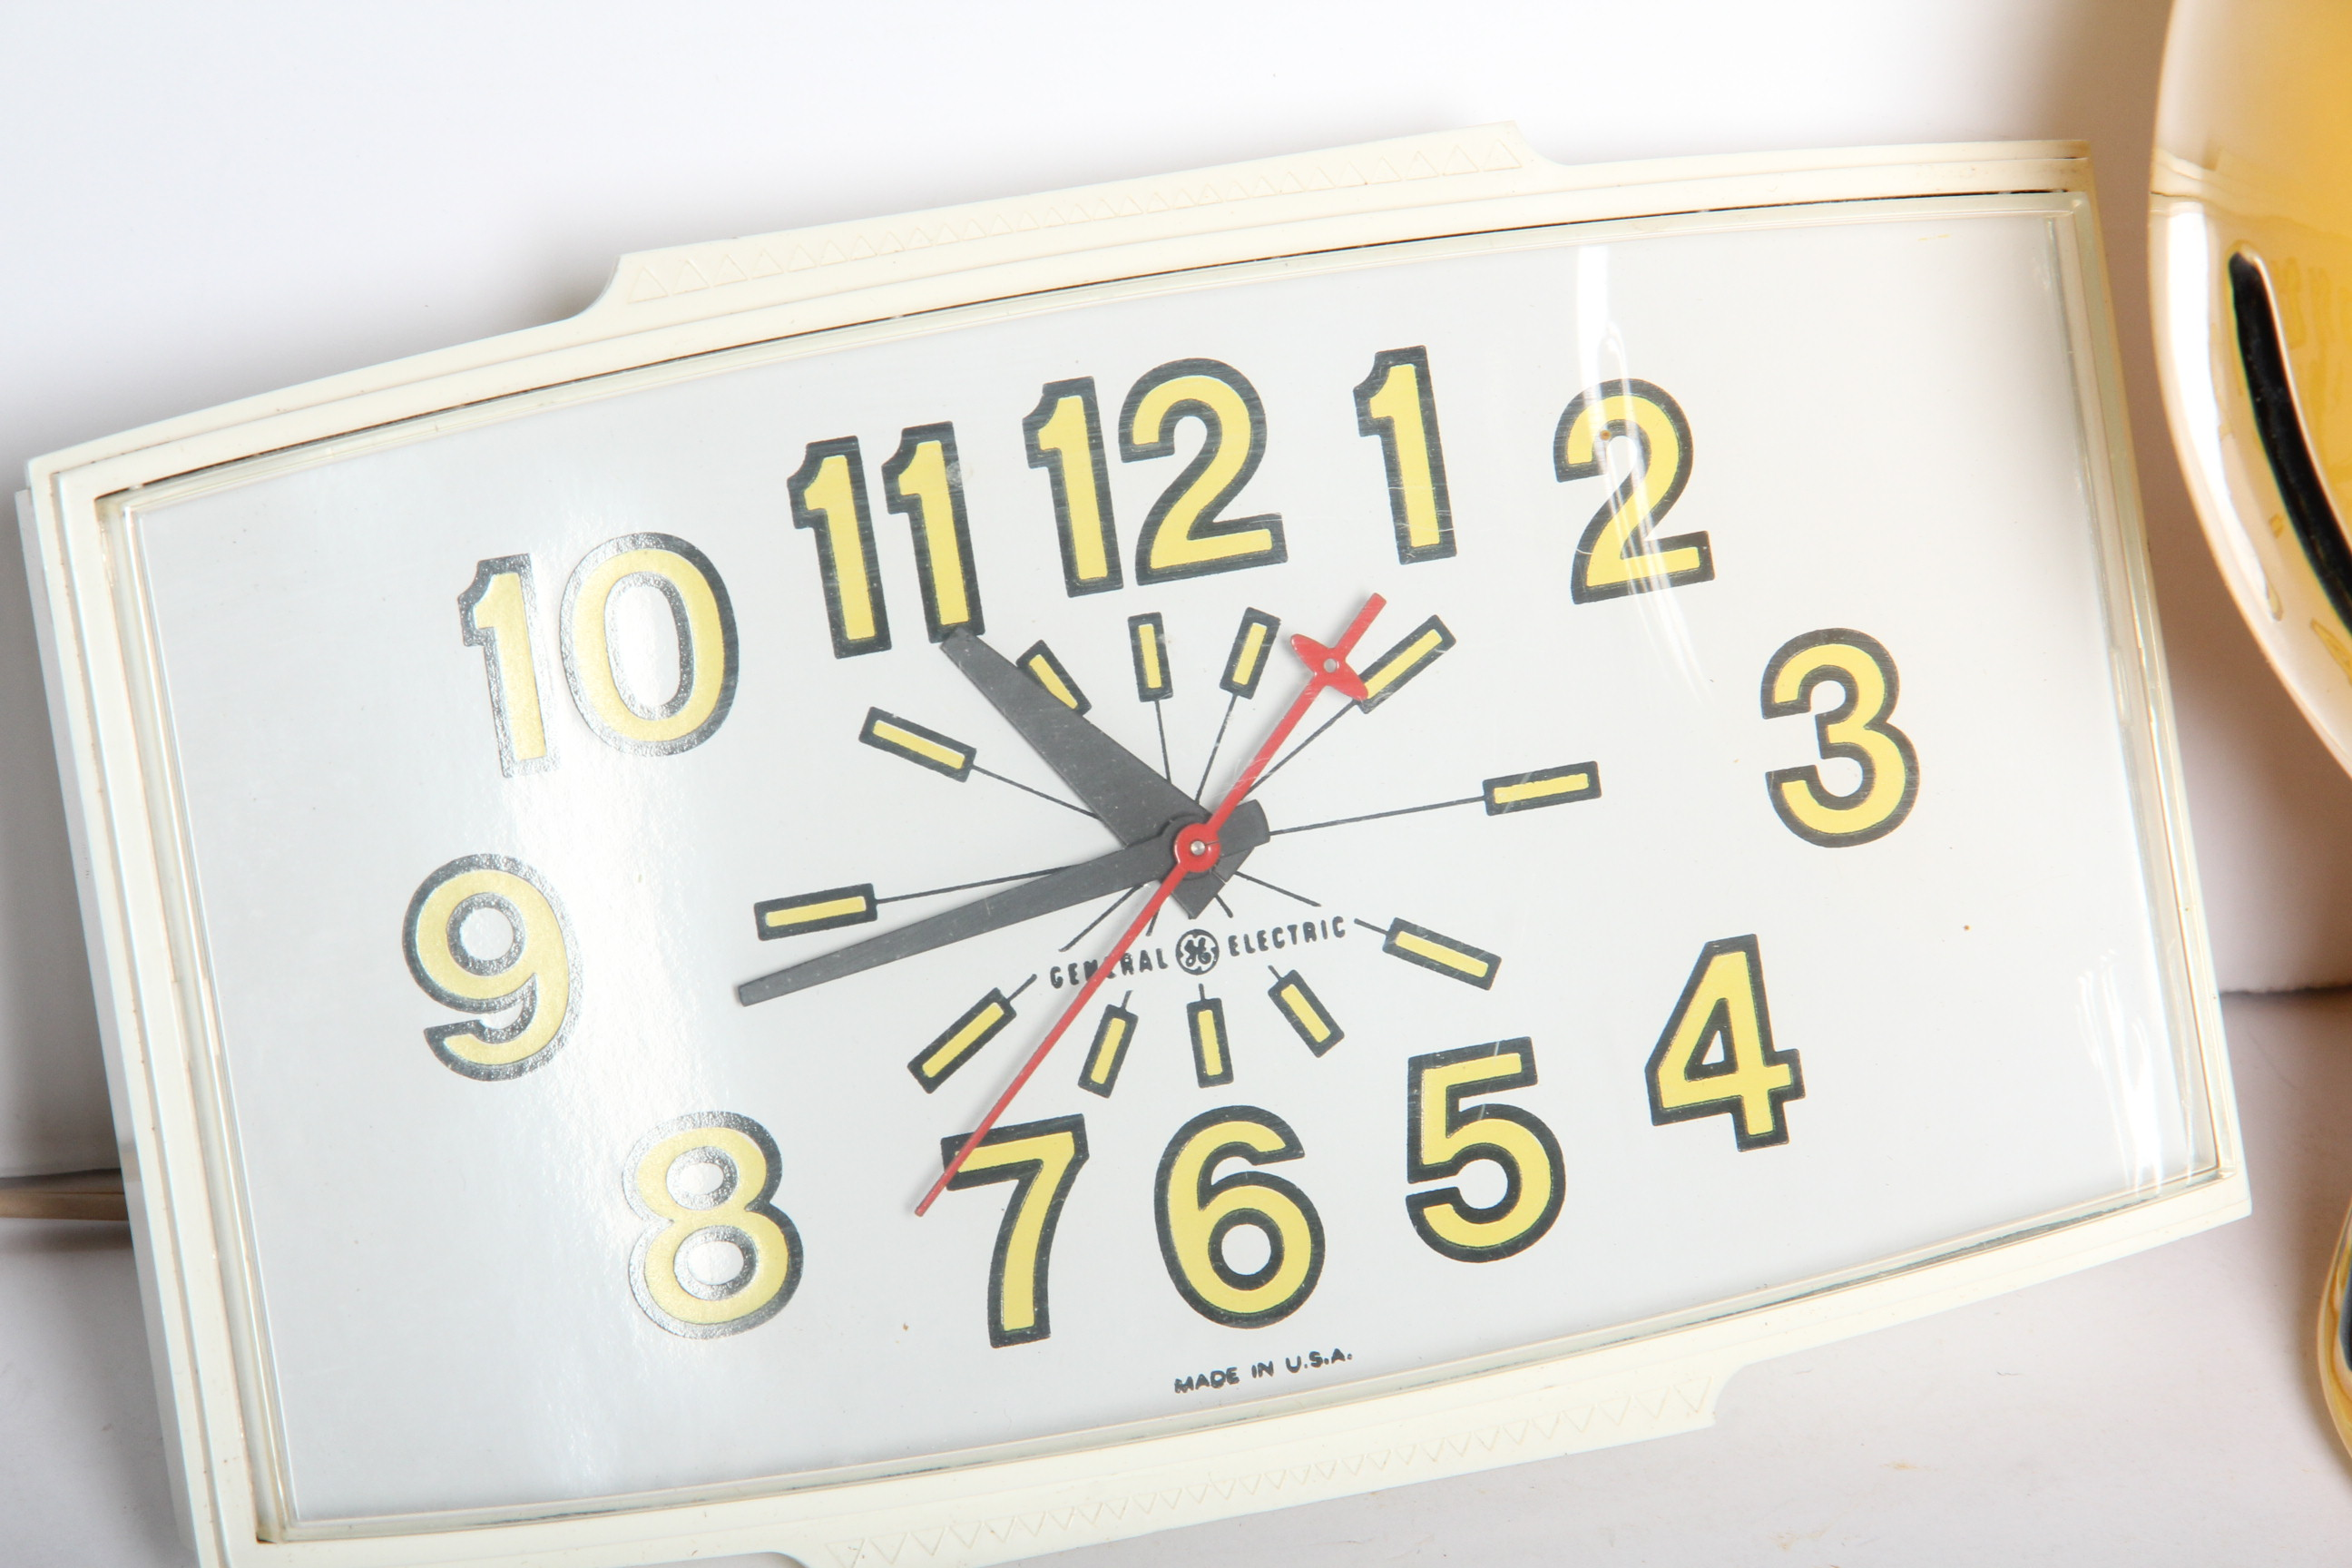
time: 10:43
